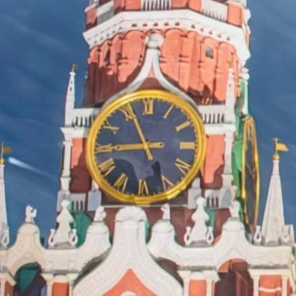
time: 8:56
